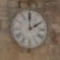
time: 1:59
